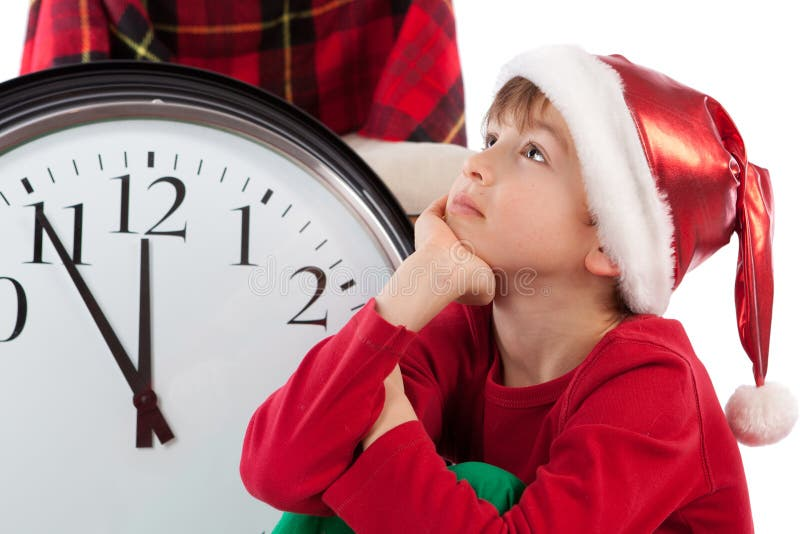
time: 11:54
